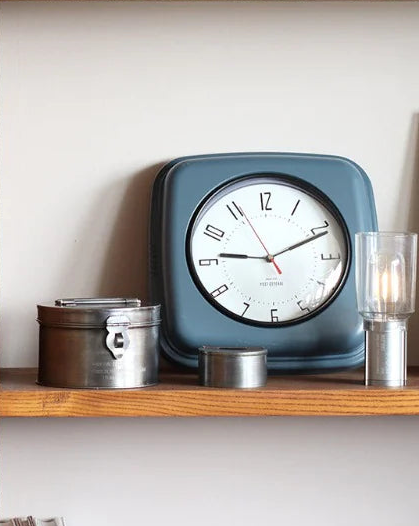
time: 9:10
